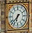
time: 6:37
